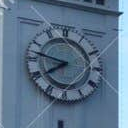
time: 7:47
